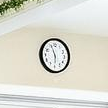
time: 5:56
